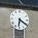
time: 6:20
